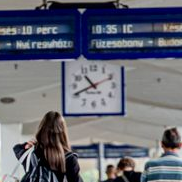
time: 10:40
